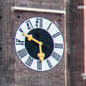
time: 5:49
